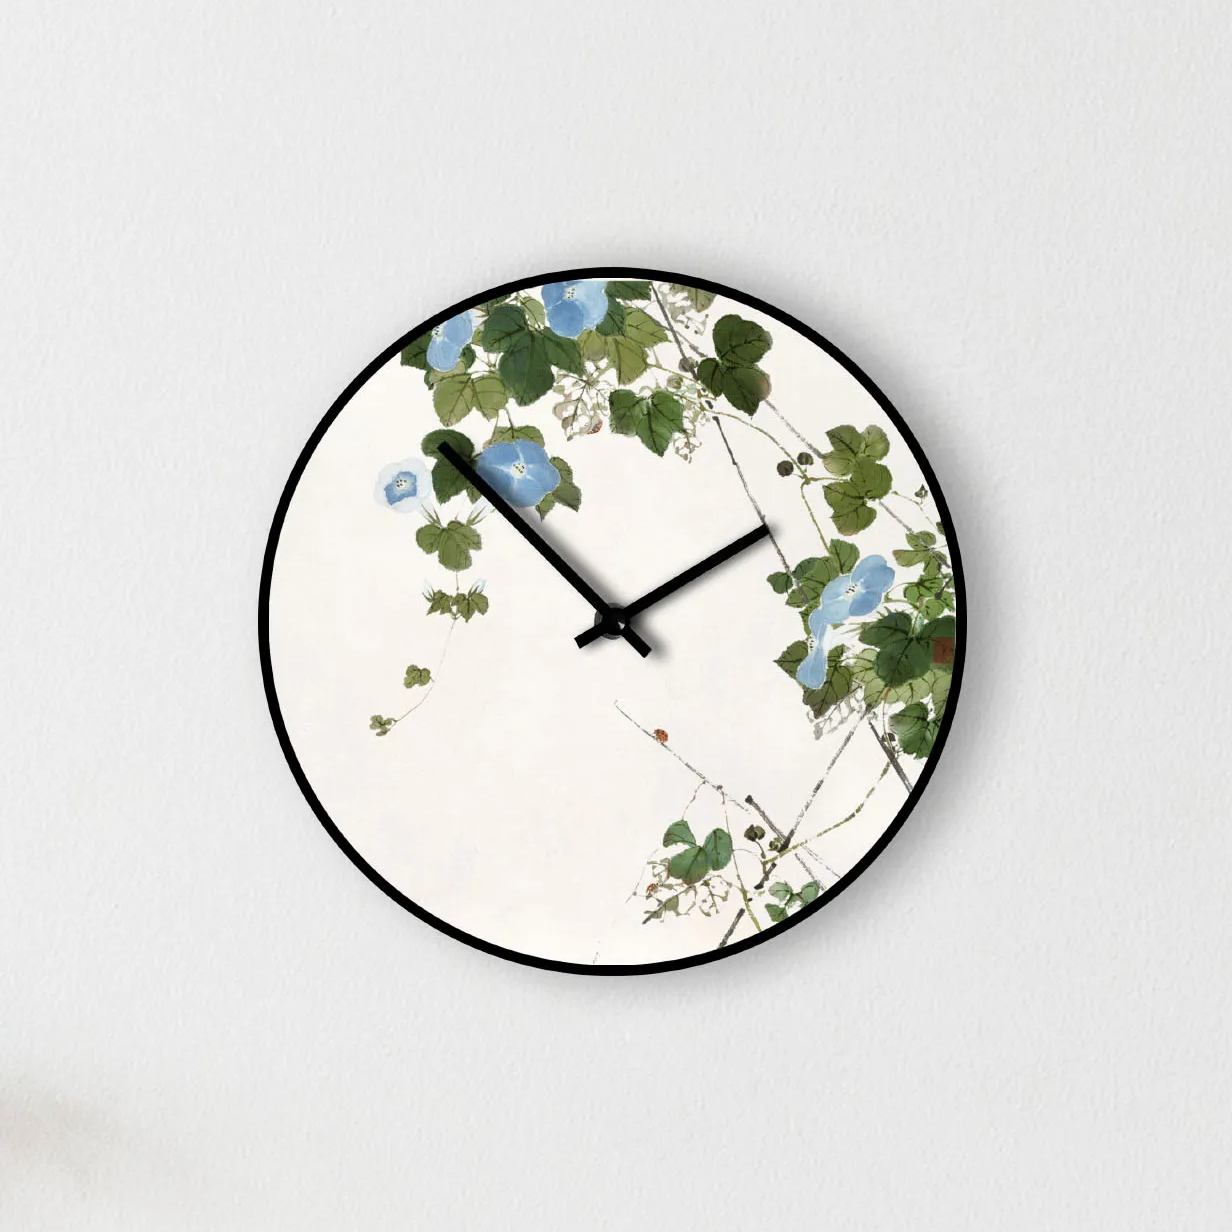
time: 1:52
